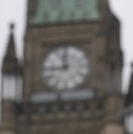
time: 11:45
